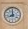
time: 7:59
